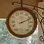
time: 2:11
